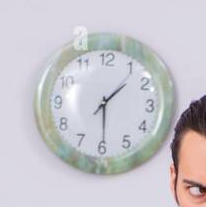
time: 1:29
